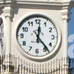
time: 12:23
